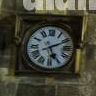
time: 5:11
